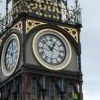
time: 12:52
